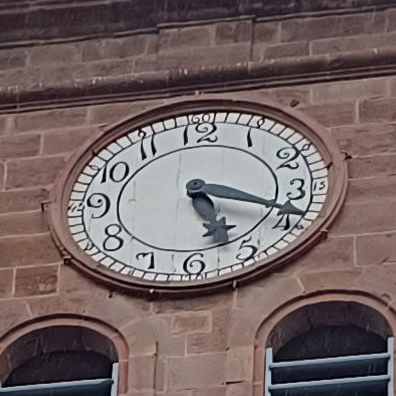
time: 5:18
